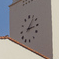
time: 3:06
